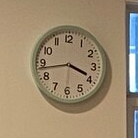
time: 3:43
